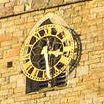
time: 3:27
